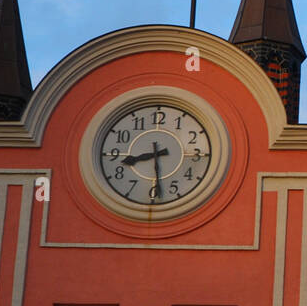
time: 8:28
